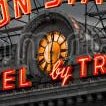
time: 6:01
